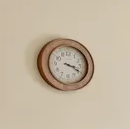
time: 3:18
